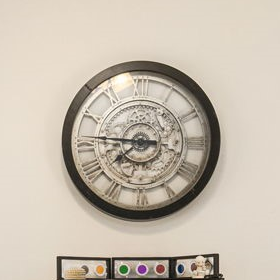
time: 7:46
